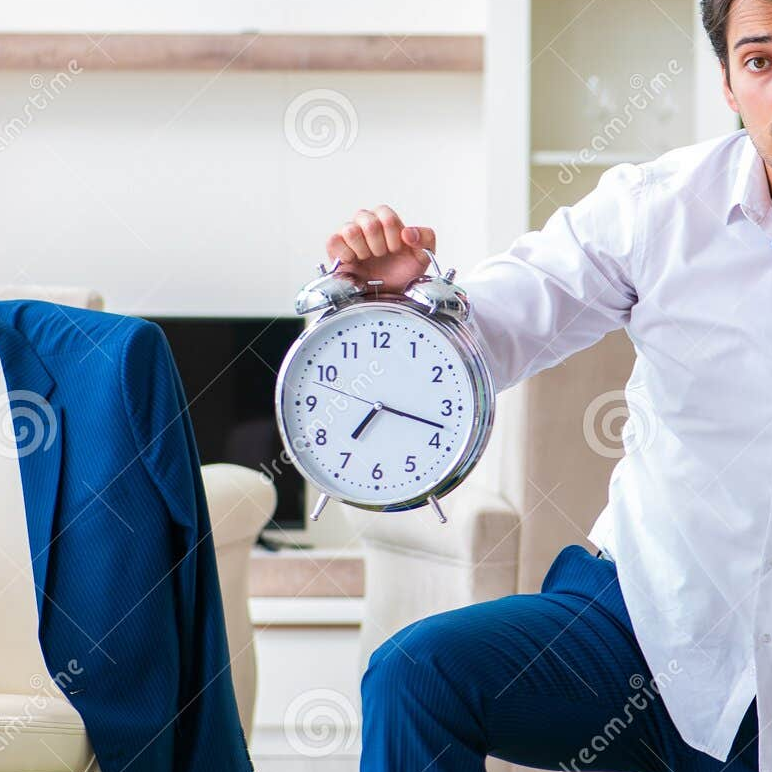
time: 7:17
